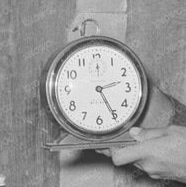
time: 2:25
